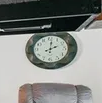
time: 2:01
